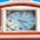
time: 3:26
